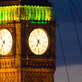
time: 6:53
